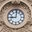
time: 9:01
